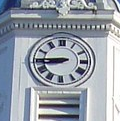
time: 8:45
